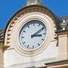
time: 3:09
